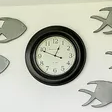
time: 12:48
